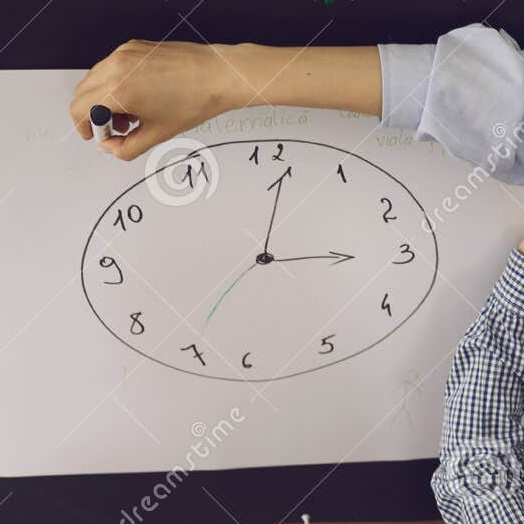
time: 3:01
